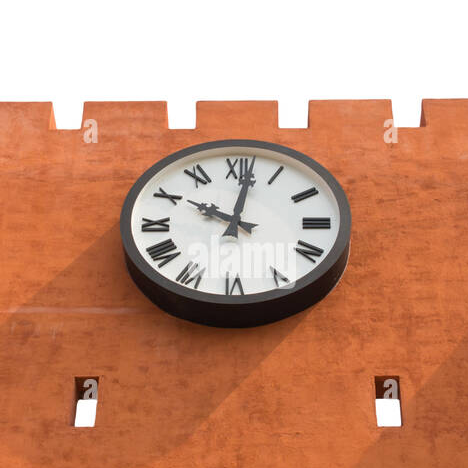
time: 10:01
